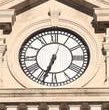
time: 6:33
